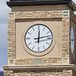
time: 12:13
